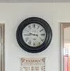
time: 9:45
